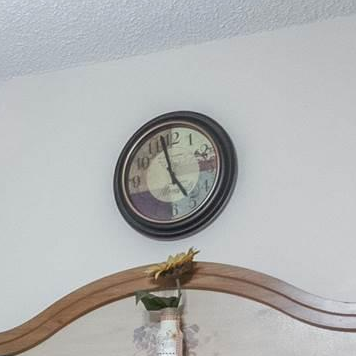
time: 4:57
